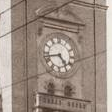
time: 4:42
